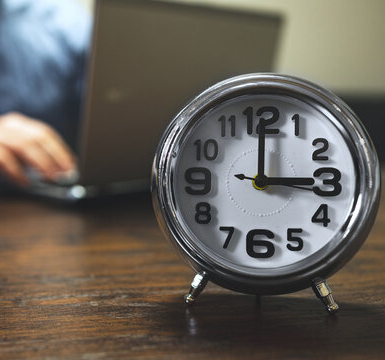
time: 3:00
